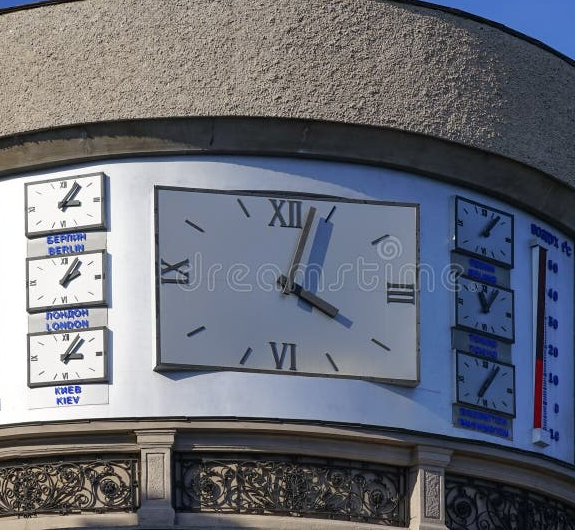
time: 4:02
